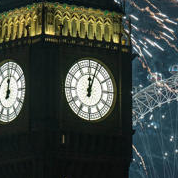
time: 12:03
